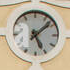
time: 5:08
